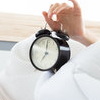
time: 7:00
